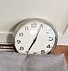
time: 7:04
